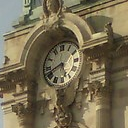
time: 5:41
